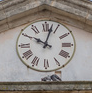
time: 10:02
